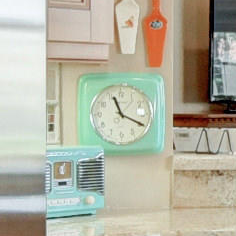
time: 11:19
